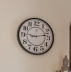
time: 9:12
